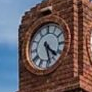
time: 4:28
